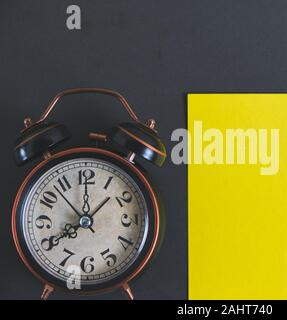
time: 8:07
